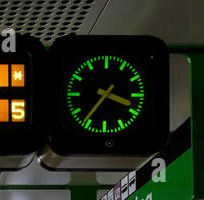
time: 3:36
